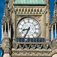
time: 8:34
